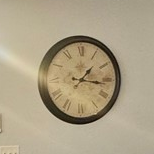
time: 1:16
